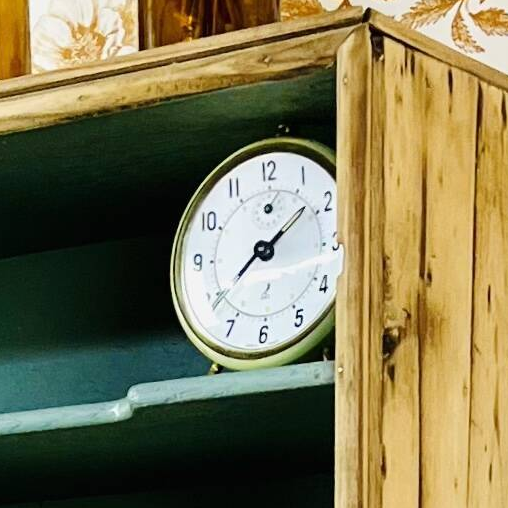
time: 1:38
